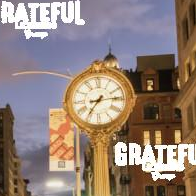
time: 7:14
